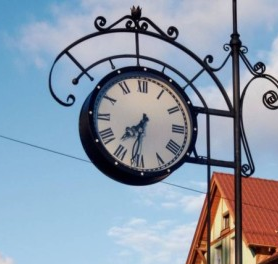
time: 7:31
